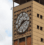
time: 2:38
